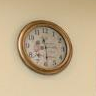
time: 11:29
